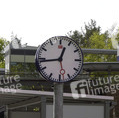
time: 12:43
